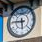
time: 5:45
